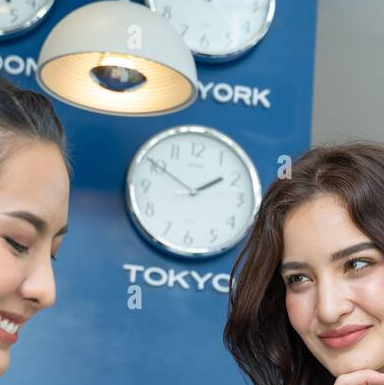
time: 1:50
